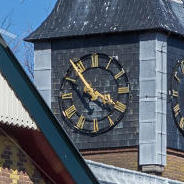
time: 3:53
